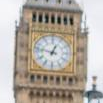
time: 12:47
